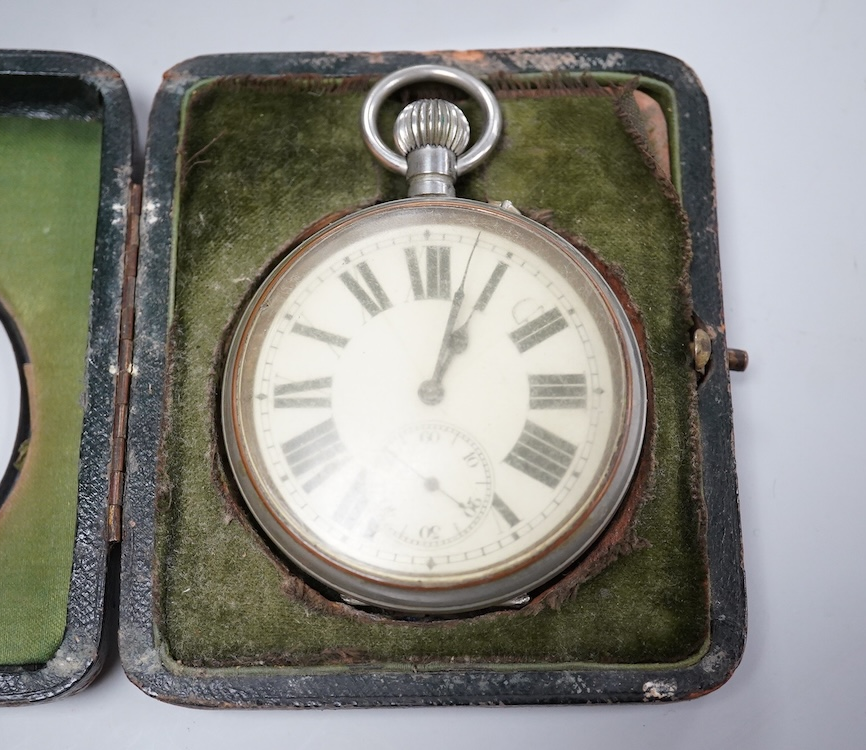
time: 1:02
